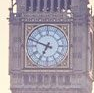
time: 6:48
